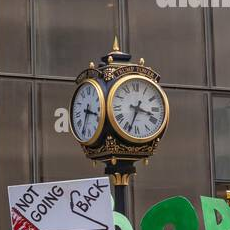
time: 3:33
